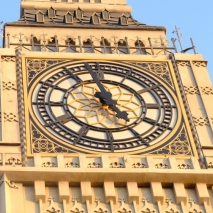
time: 4:57
